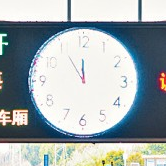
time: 11:54
